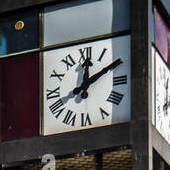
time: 12:10
